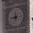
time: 8:32
